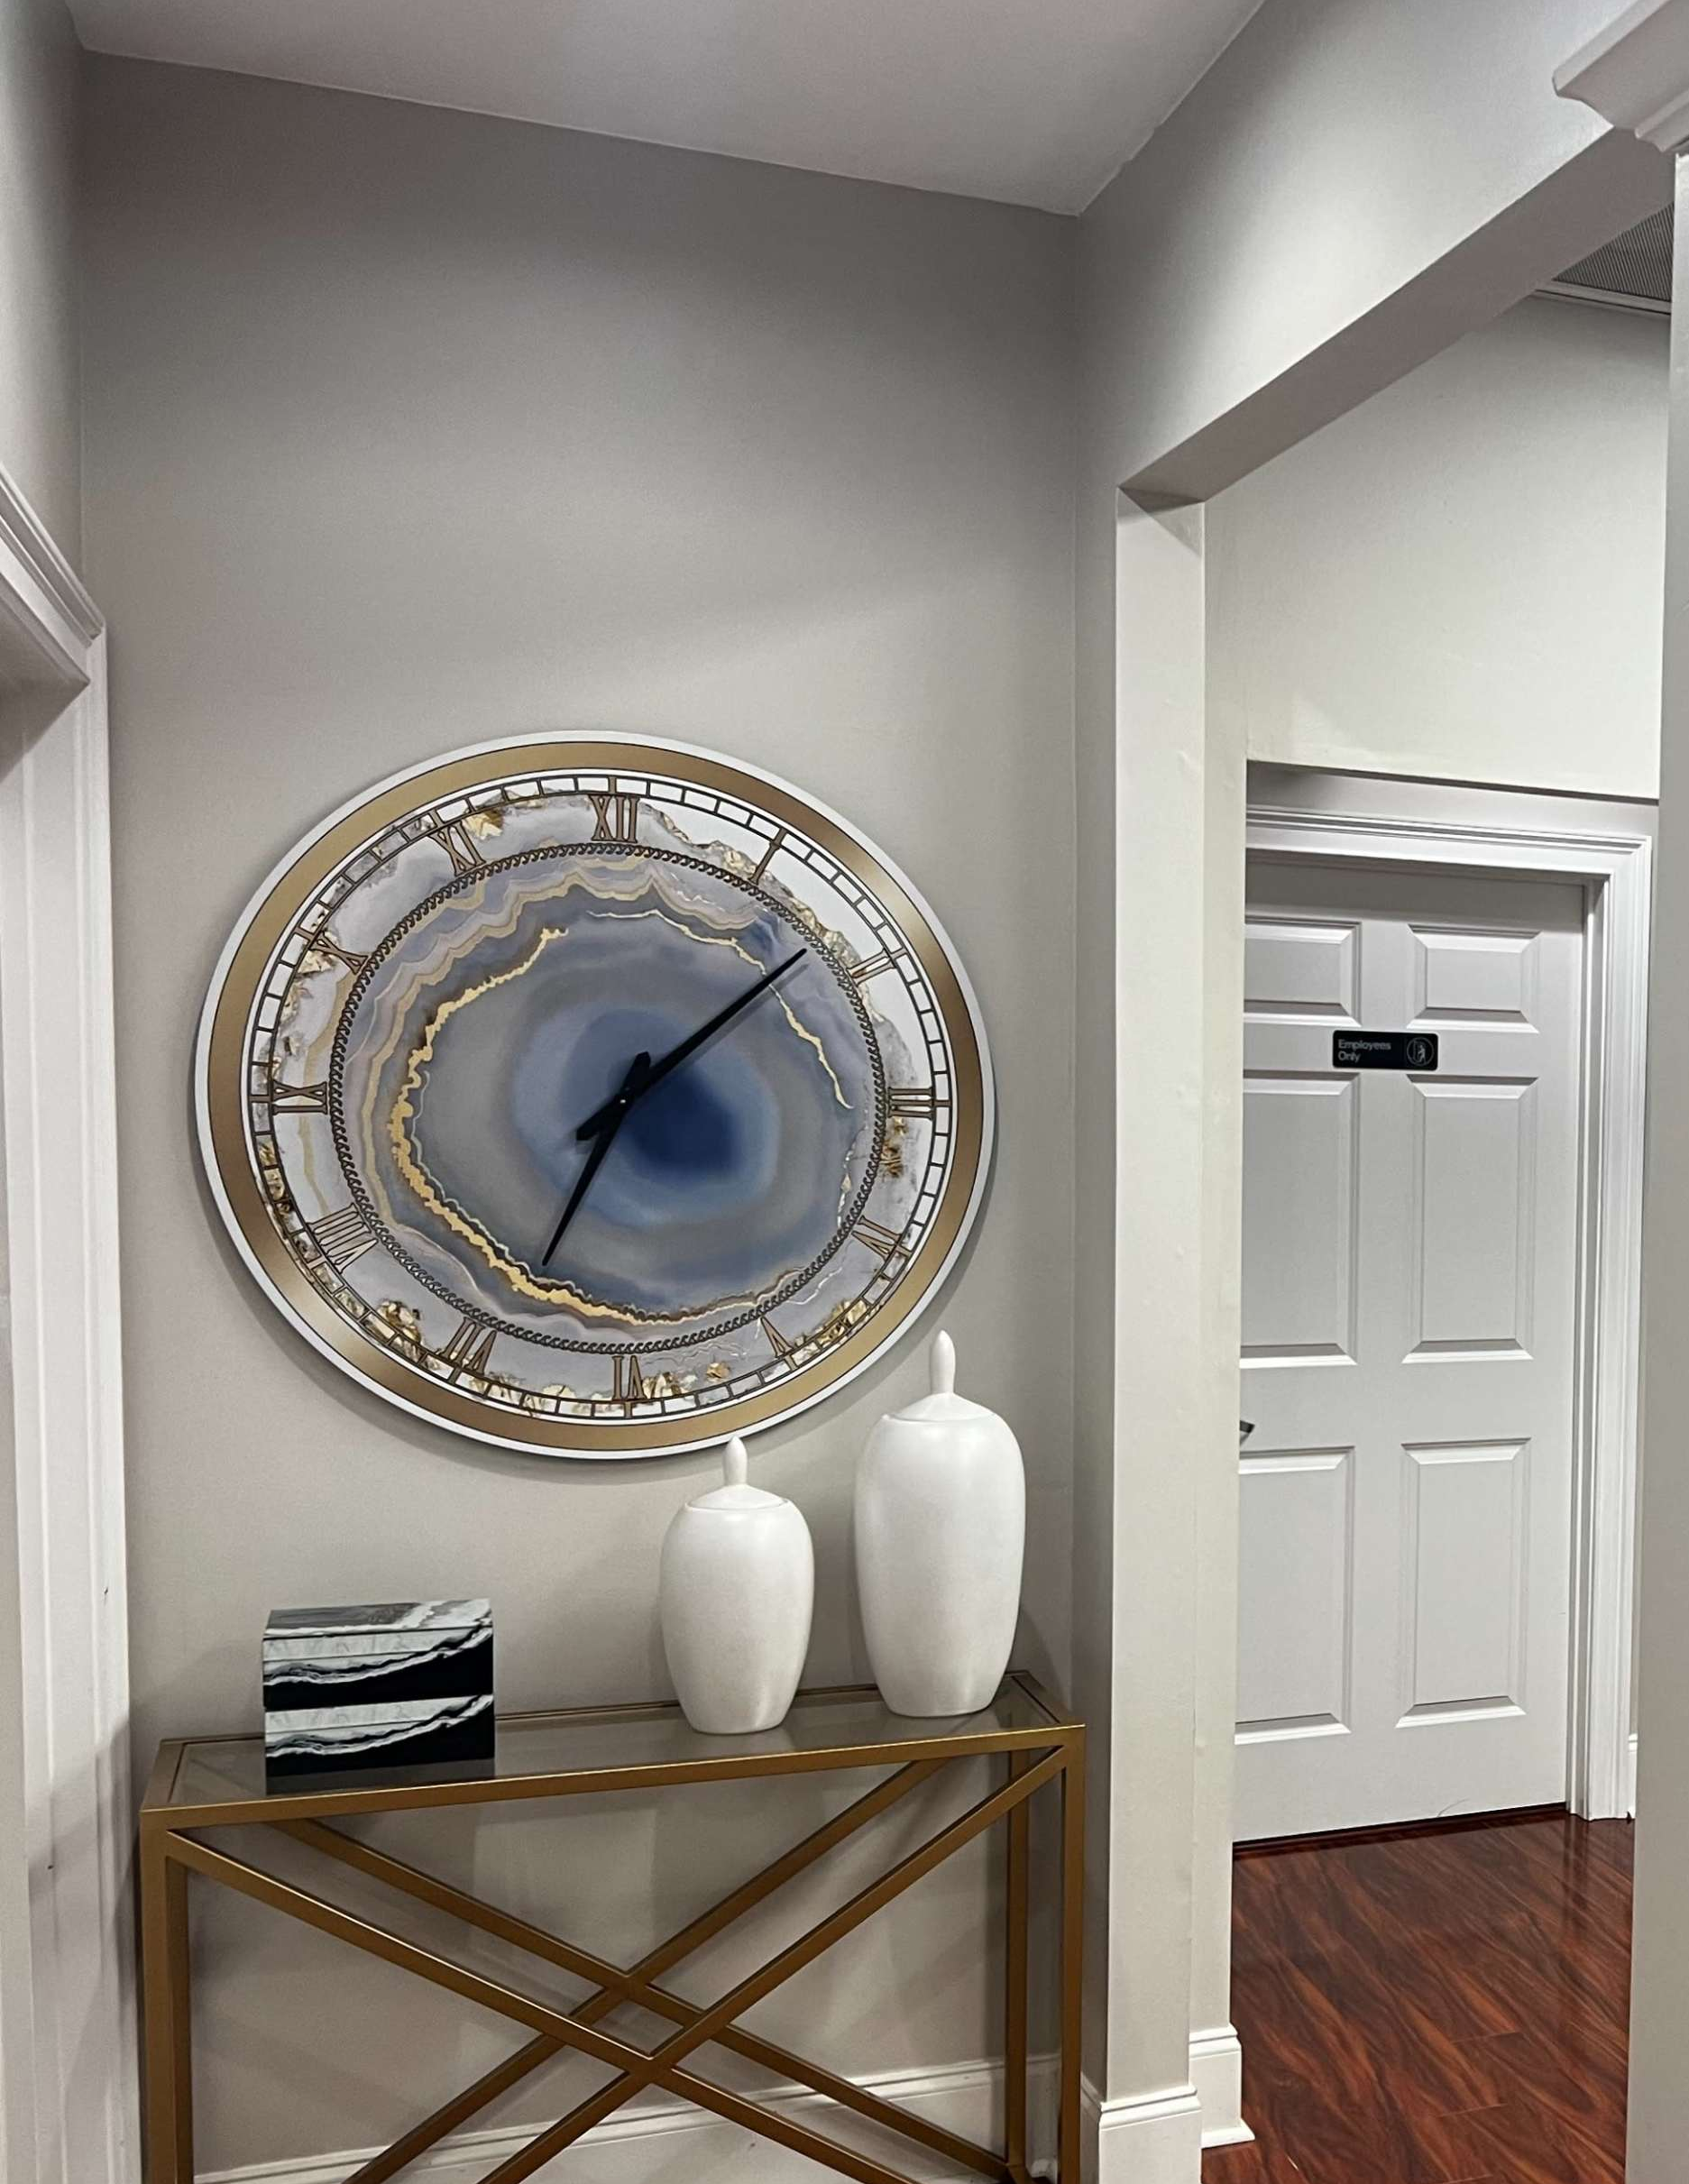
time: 1:34
